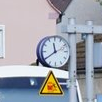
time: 11:39
